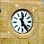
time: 12:24
